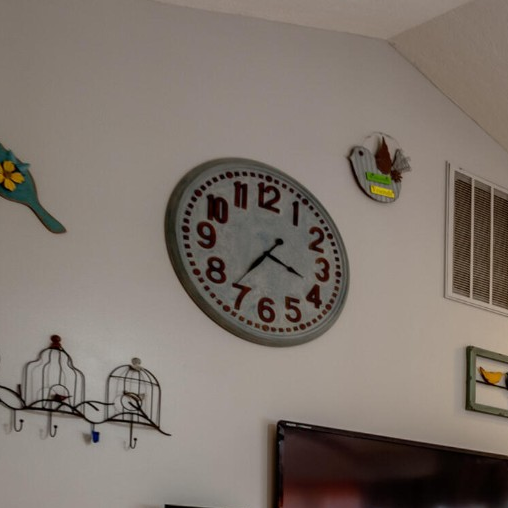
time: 3:36
